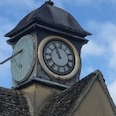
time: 10:55
